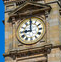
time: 9:00
